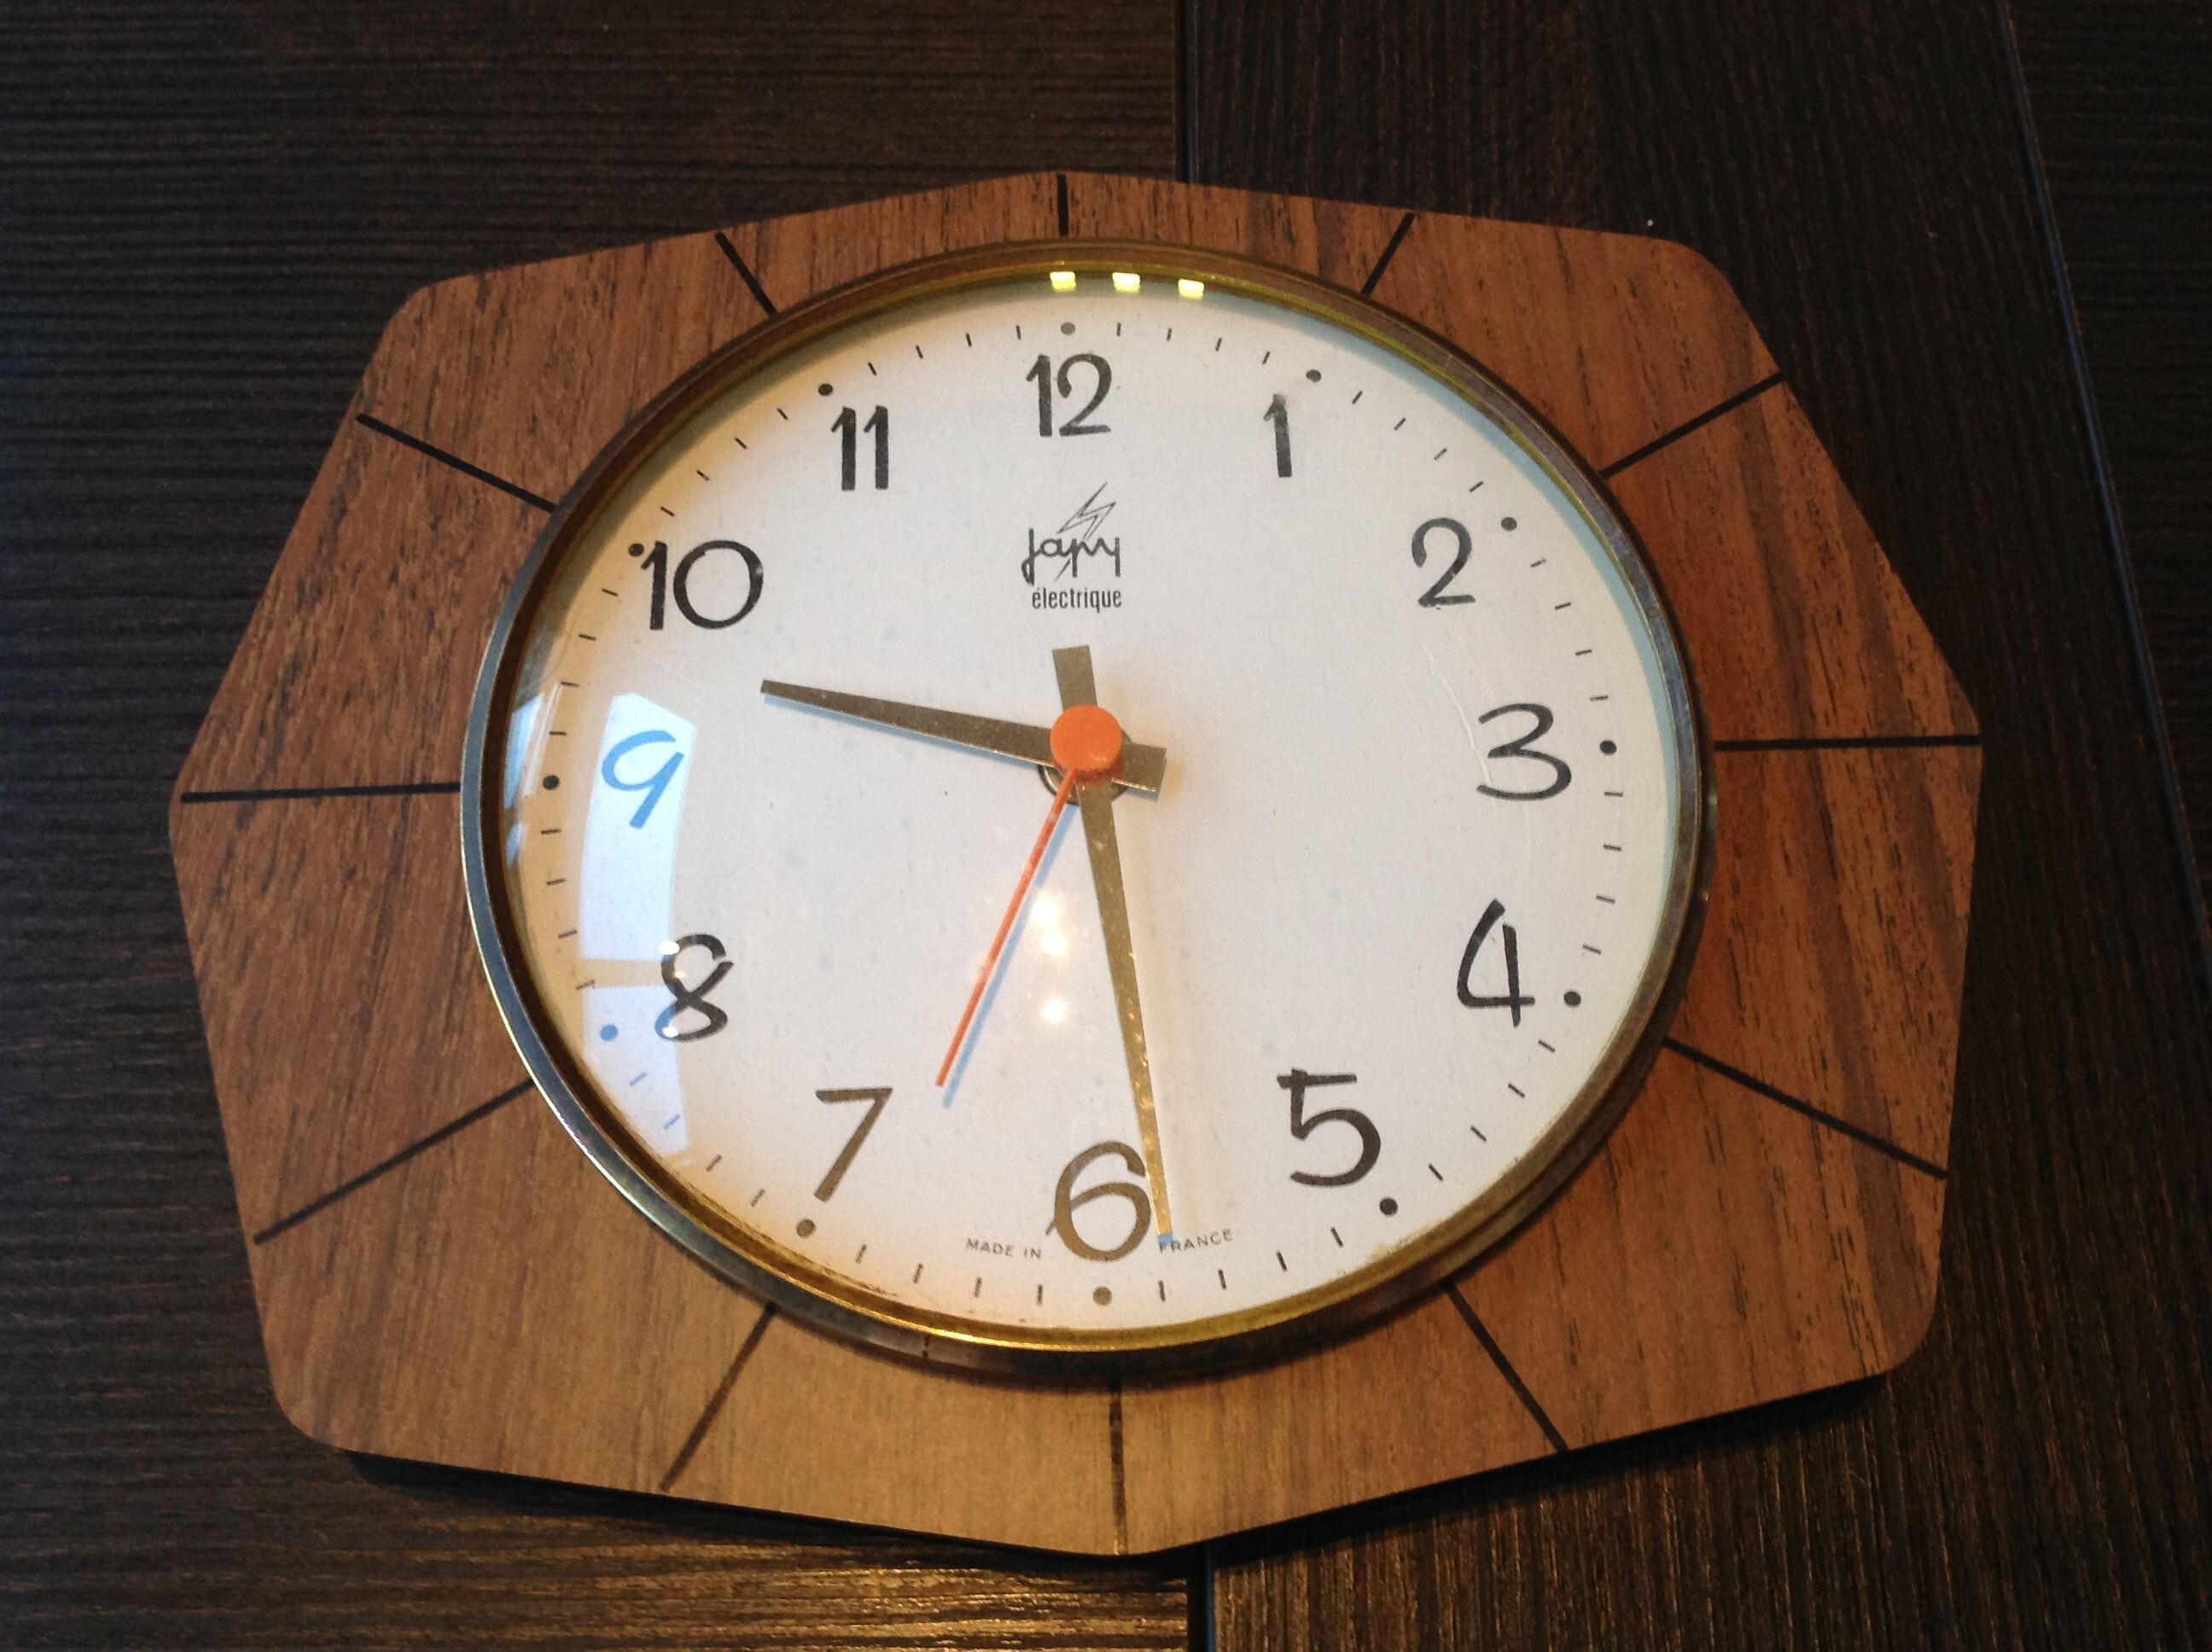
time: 9:28
